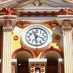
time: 11:18
